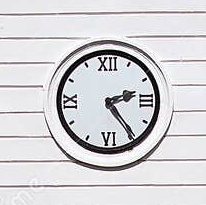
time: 2:24
